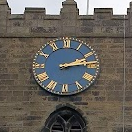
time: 2:14
